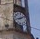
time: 8:09
